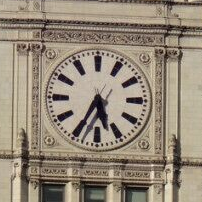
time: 5:34
